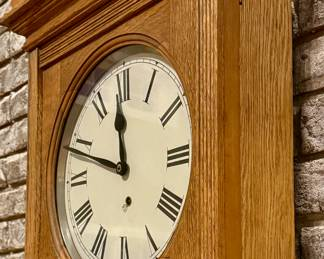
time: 11:48
